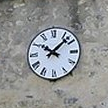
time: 10:07
